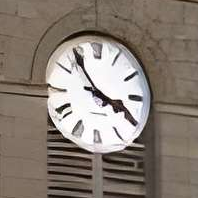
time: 3:54
